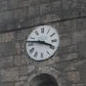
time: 3:46
